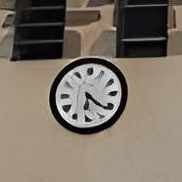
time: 6:21
